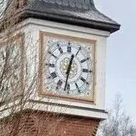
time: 12:31
